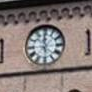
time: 5:59
